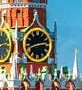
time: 2:41
